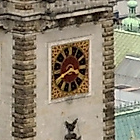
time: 3:40
